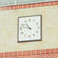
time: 10:48
